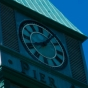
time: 8:06
